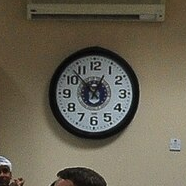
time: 12:52
